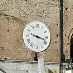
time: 3:17
